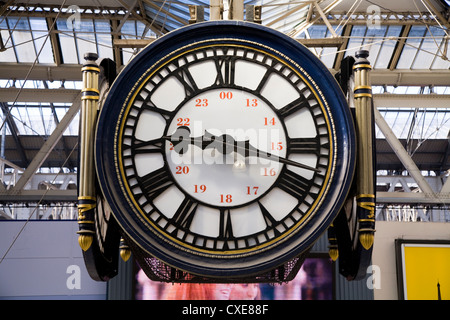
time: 9:17
